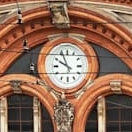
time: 9:56
